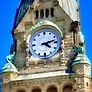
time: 4:12
